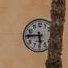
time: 5:45
